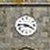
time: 3:45
